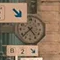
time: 4:37
